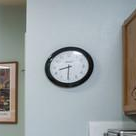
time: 8:30
